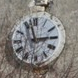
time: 2:57
